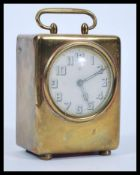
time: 5:10
